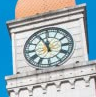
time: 11:55
